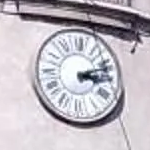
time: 3:11
